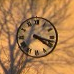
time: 4:17
